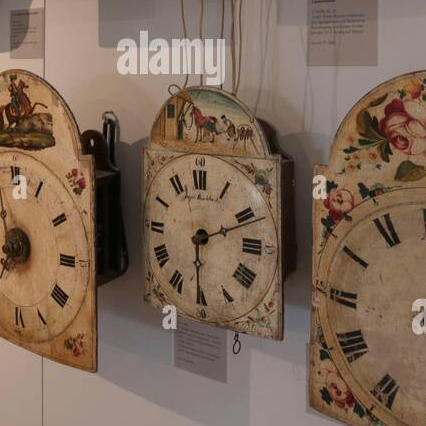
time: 6:11
